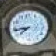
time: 7:43
